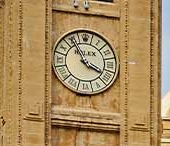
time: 3:55
